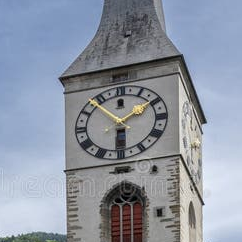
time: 1:52
